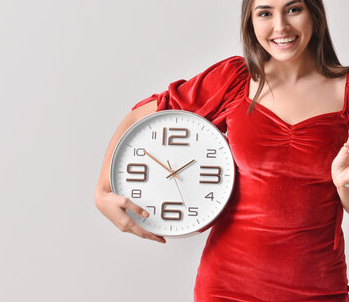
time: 1:50
